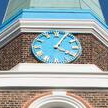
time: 4:04
